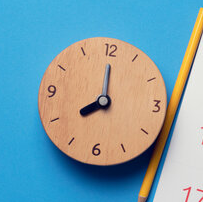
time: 8:00
